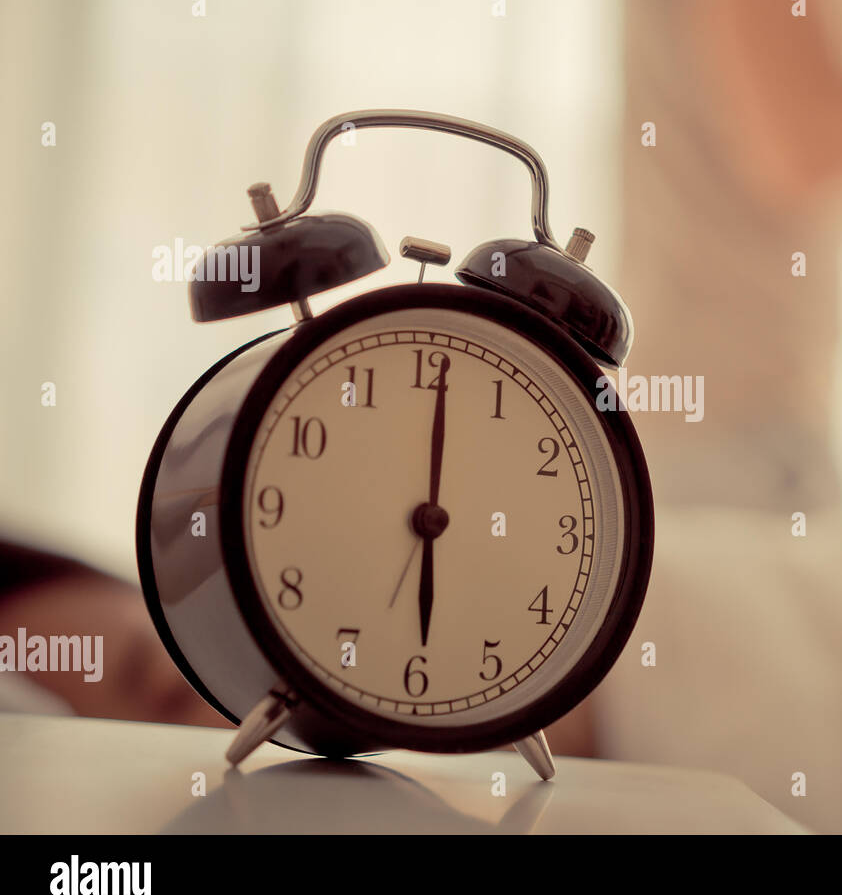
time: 6:00
